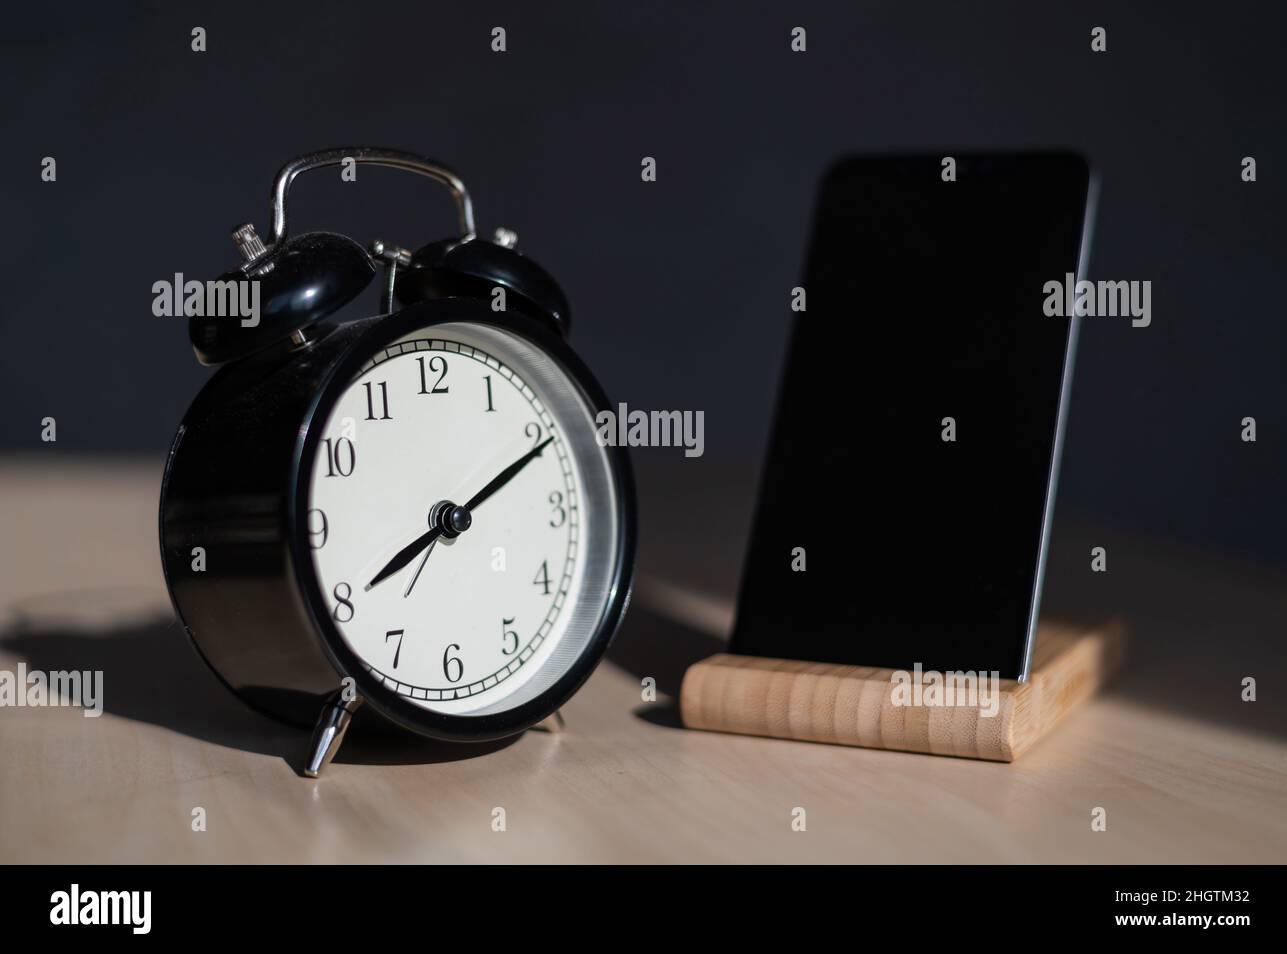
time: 8:10
